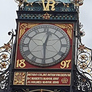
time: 12:29
